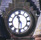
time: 11:31
